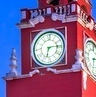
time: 6:14
